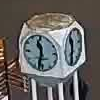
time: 11:32
